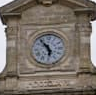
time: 5:53
